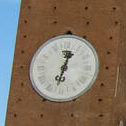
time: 12:32
